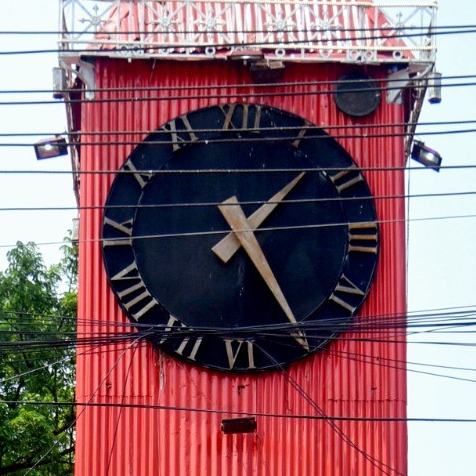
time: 1:24
